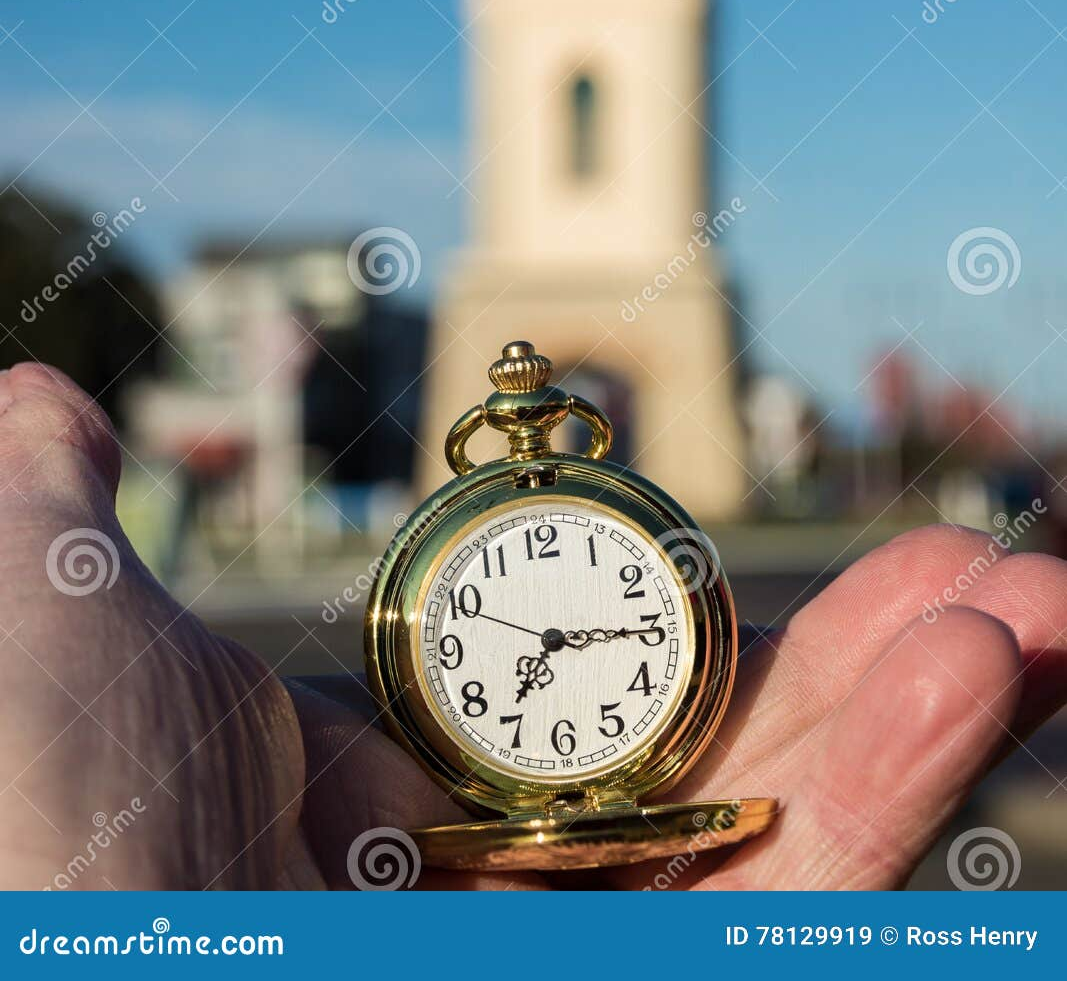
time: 7:14
